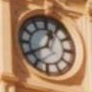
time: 12:40
